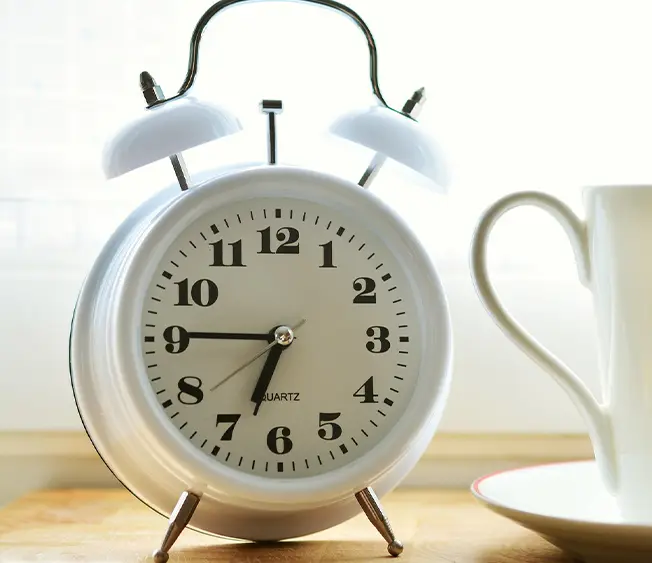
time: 6:45
